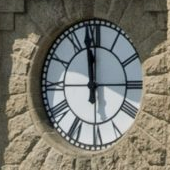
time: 11:58
